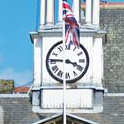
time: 3:45
